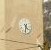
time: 4:31
